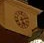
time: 5:12
